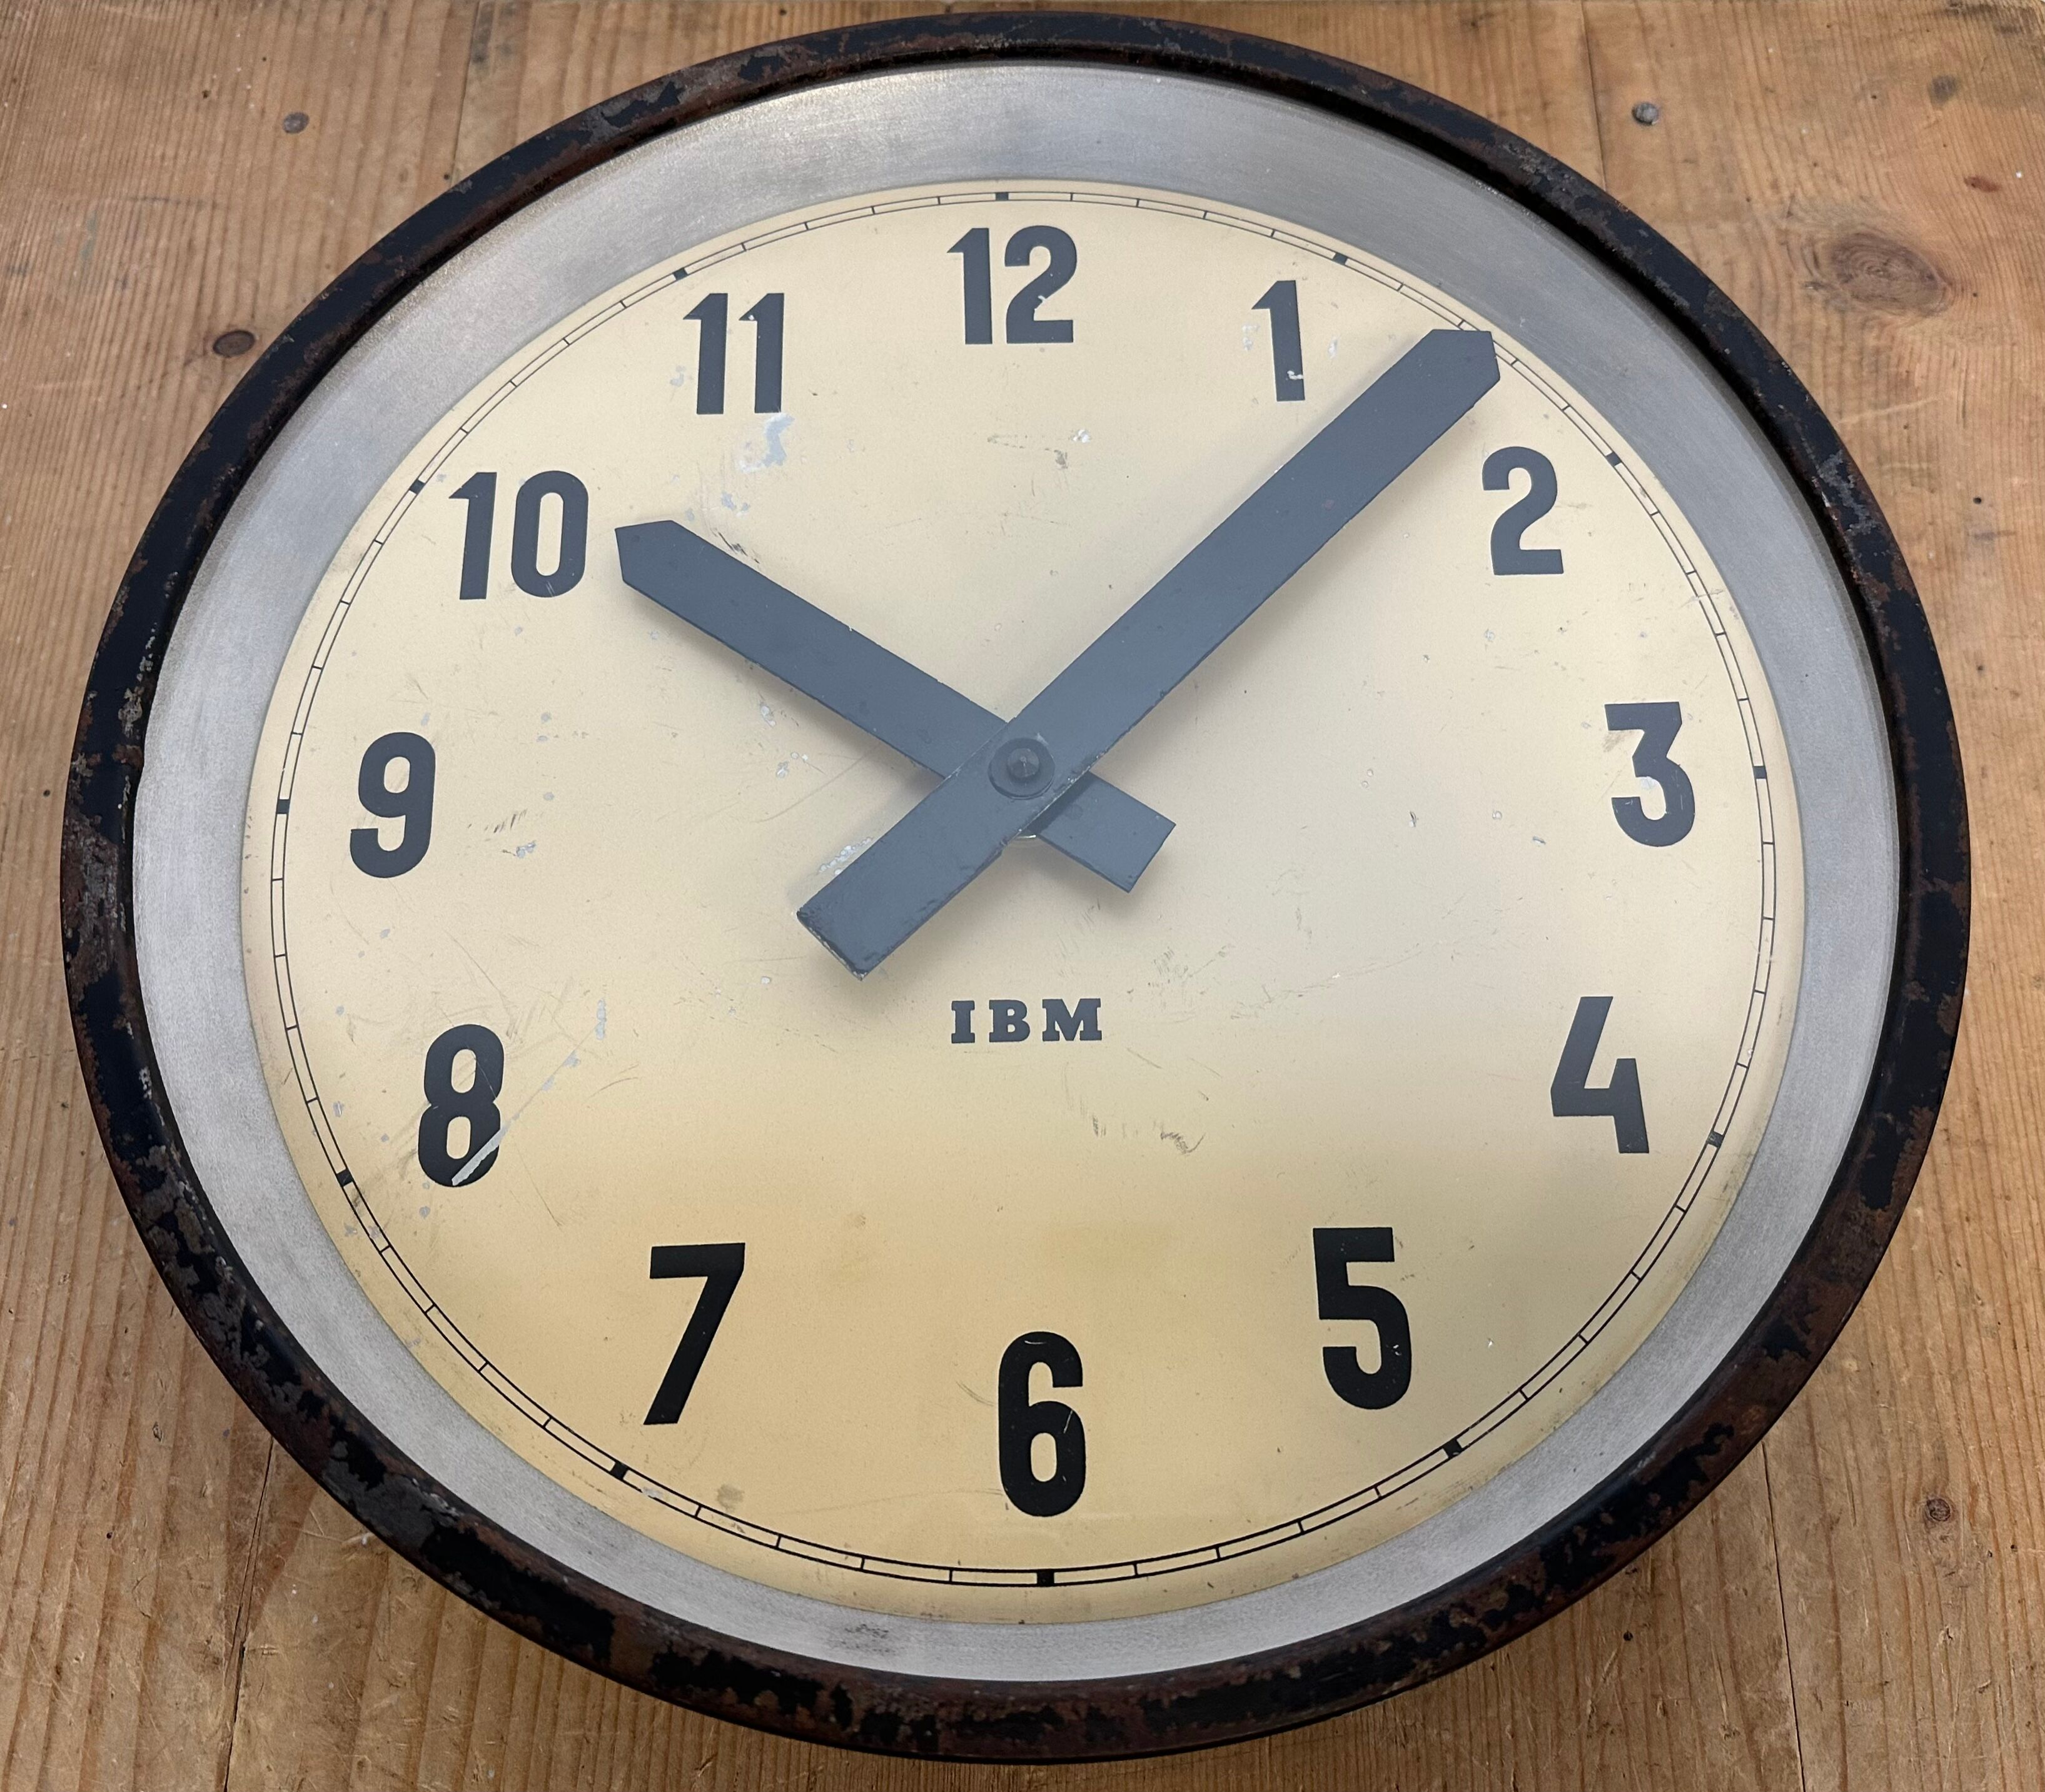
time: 10:07
